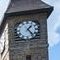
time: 1:23
